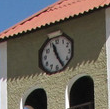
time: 11:25
